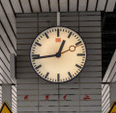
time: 12:43
